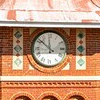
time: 11:51
